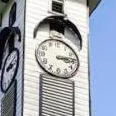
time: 3:13
